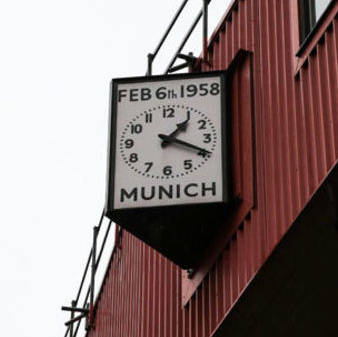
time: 1:18
